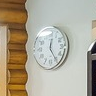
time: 12:24
